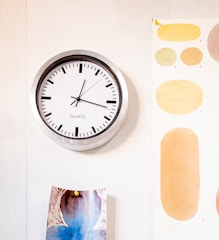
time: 12:16
